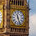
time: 11:26
